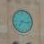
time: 7:15
